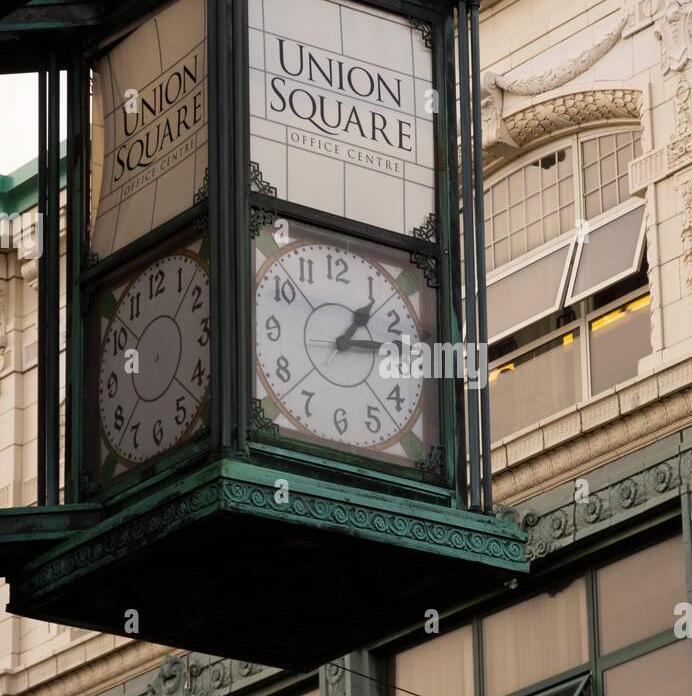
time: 1:13
